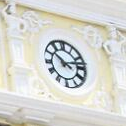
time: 10:12
